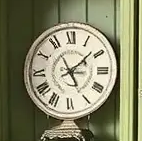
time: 5:08
